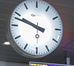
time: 9:48
